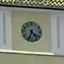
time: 4:33
